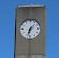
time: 6:32
